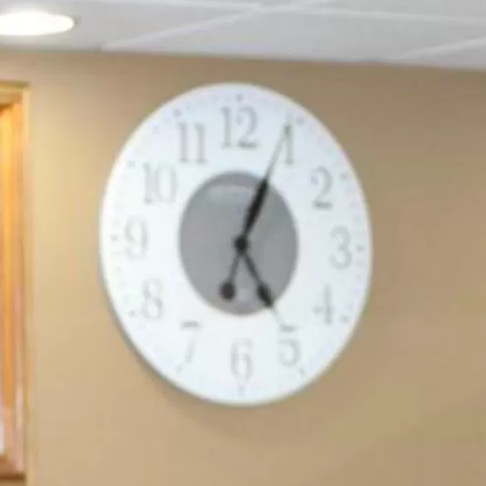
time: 5:04
